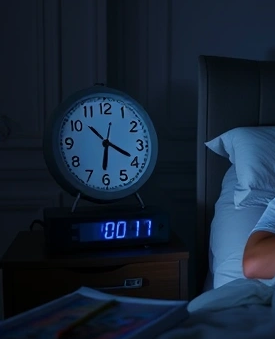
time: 6:19
